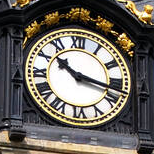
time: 10:17
